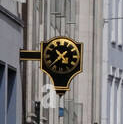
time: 10:37
